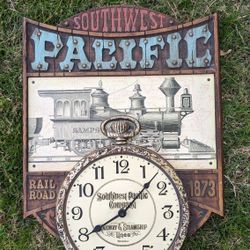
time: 8:07
